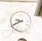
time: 9:40
